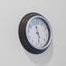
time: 11:28
